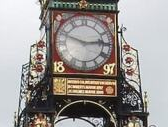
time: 2:48
